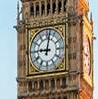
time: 9:01
